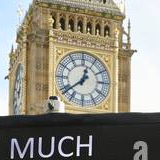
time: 12:38
